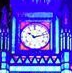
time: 10:12
